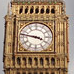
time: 3:47
